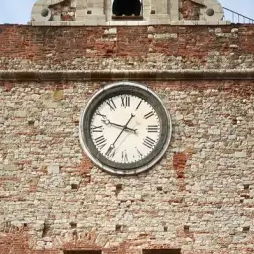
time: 9:35
